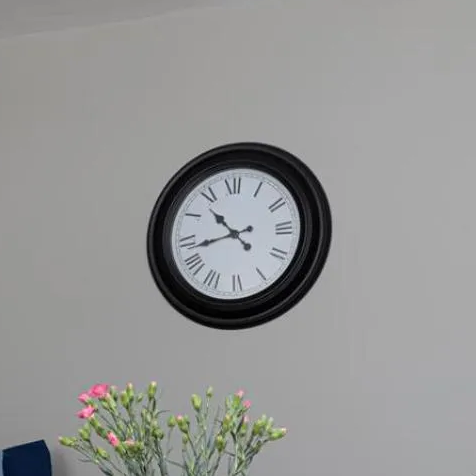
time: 10:42
